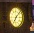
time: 7:07
